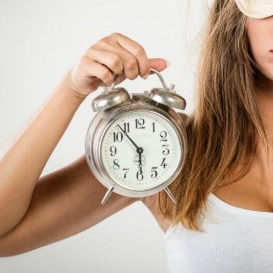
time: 5:53
